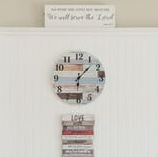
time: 1:30
